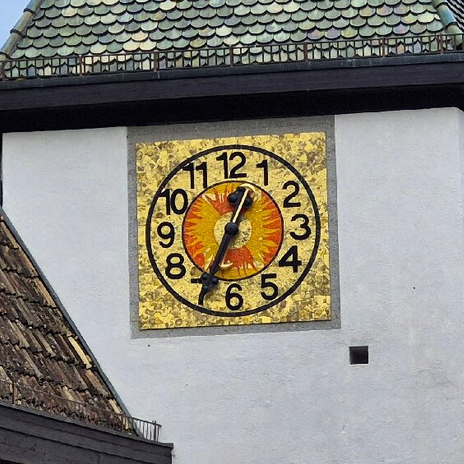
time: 12:34
